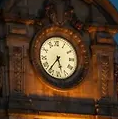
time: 5:36
